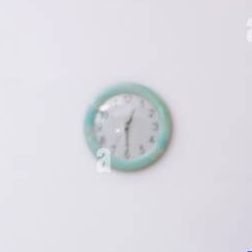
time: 12:29
